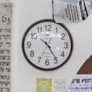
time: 10:24
